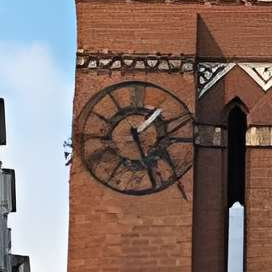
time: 1:26
